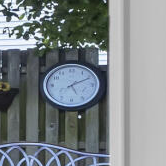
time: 5:10
